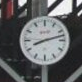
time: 8:12
